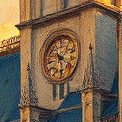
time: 10:28
